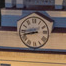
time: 8:42
